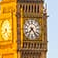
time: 7:23
